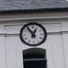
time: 12:54
